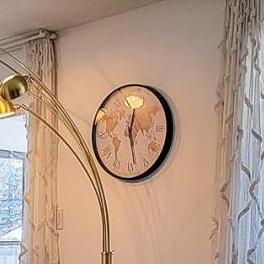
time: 12:28
